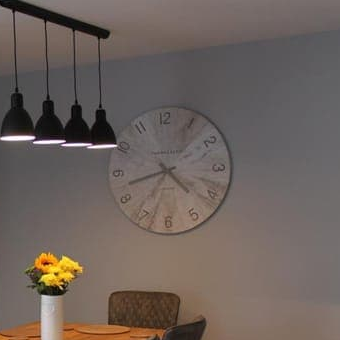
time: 4:42
